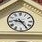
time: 9:24
